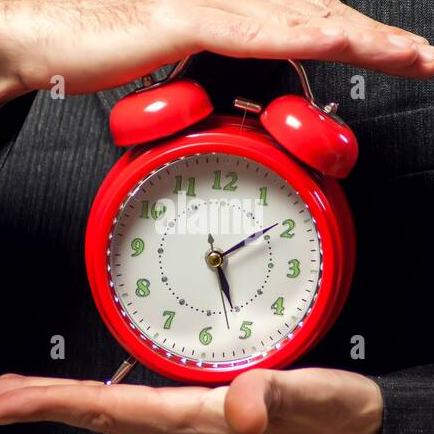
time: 5:08
